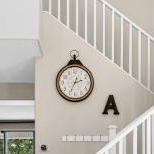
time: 2:34
